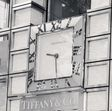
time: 9:28
